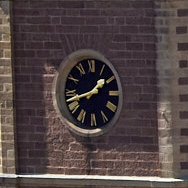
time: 1:42
